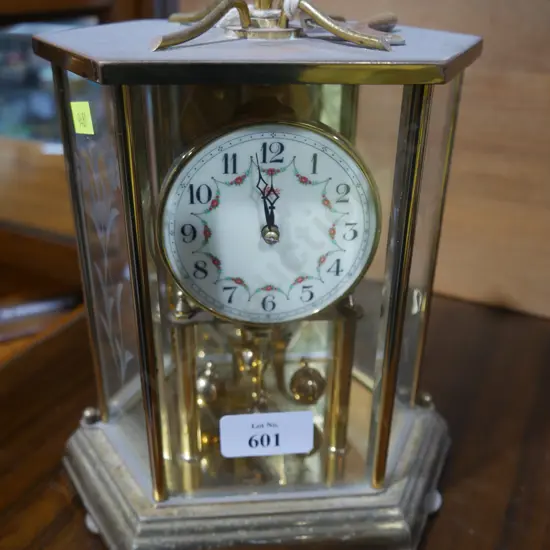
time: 11:58
